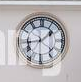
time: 1:43
